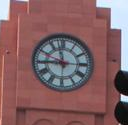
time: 8:57
